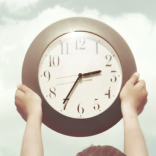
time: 2:35
